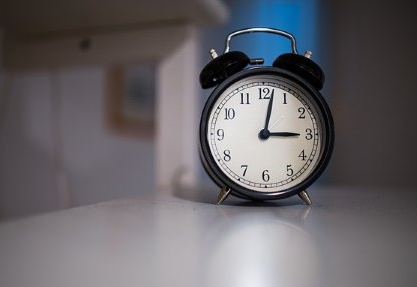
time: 3:02
